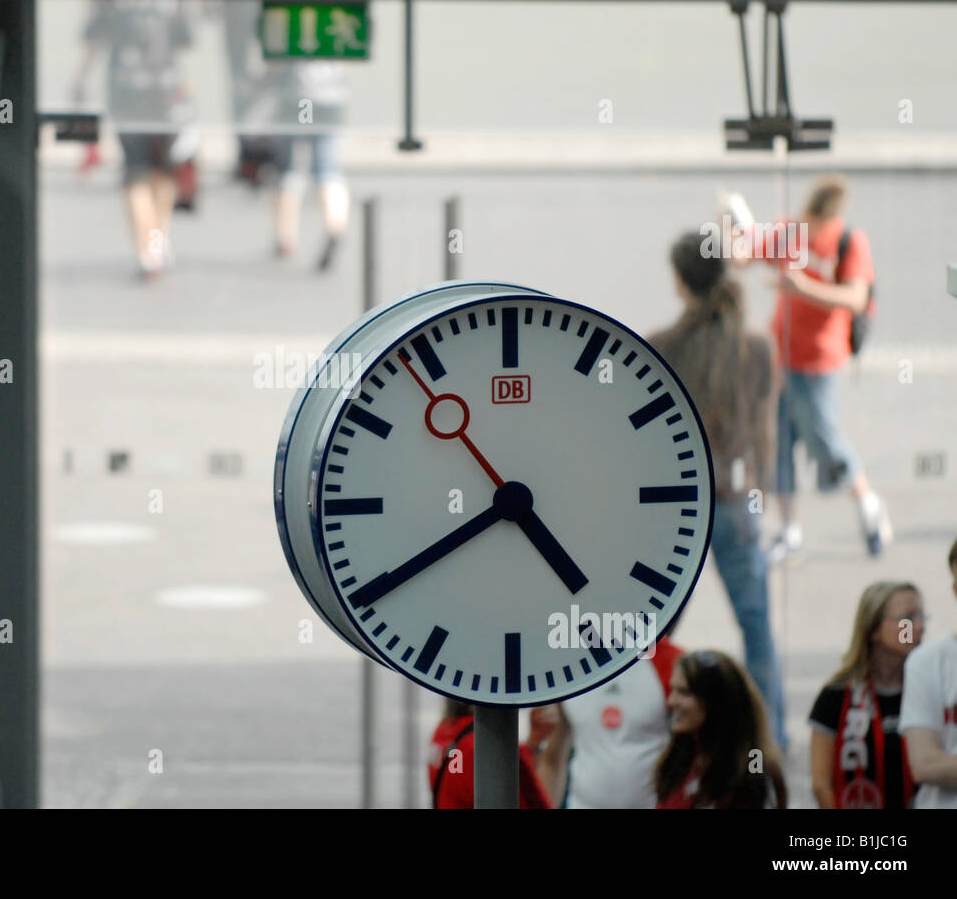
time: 4:39
